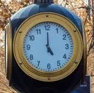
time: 5:00
